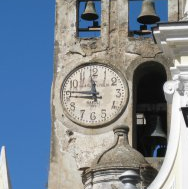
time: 11:46
